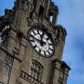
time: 12:47
